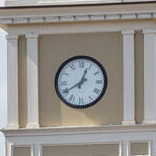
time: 12:40
